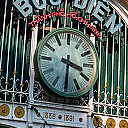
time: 3:30
